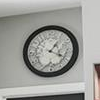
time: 1:19
